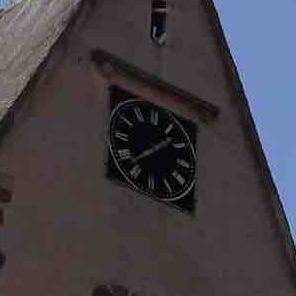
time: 1:37
